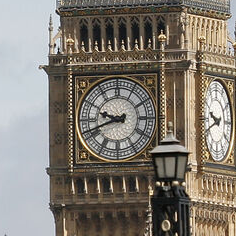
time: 9:41
